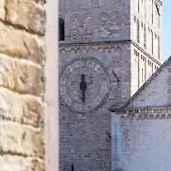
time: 6:29
